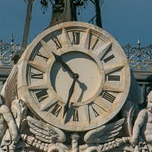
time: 10:32
